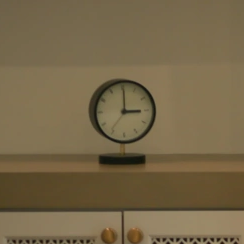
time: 3:00
